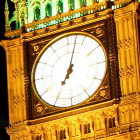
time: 7:02
